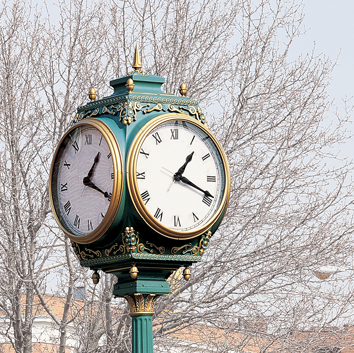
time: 1:18
